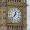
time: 12:37
